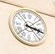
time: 3:17
